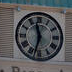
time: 11:32
